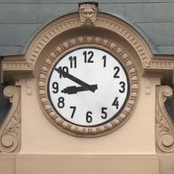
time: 8:49
